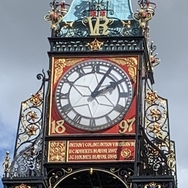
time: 2:04
